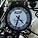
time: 4:33
